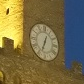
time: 6:33
